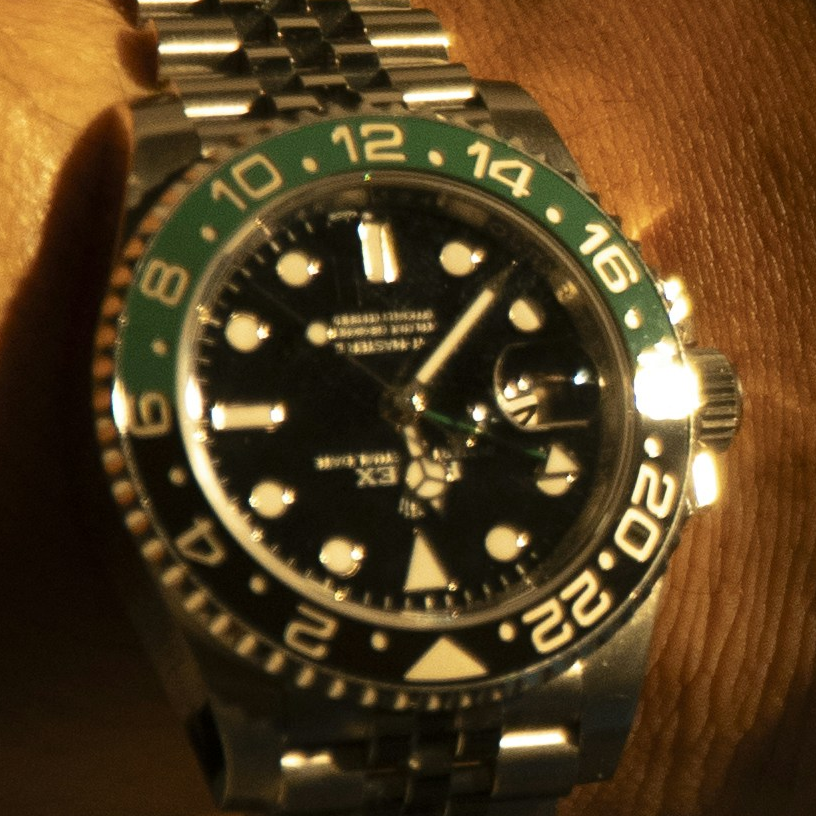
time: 5:06
